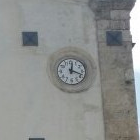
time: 12:18
